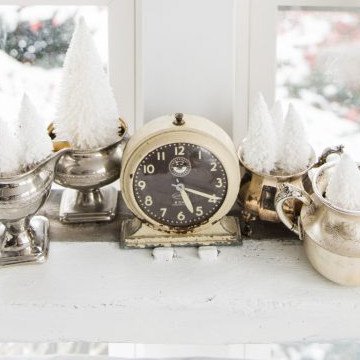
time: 5:19
